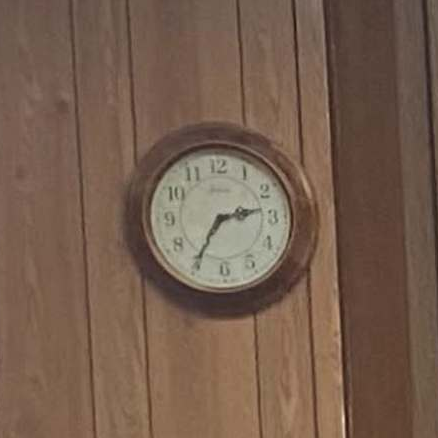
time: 2:35
